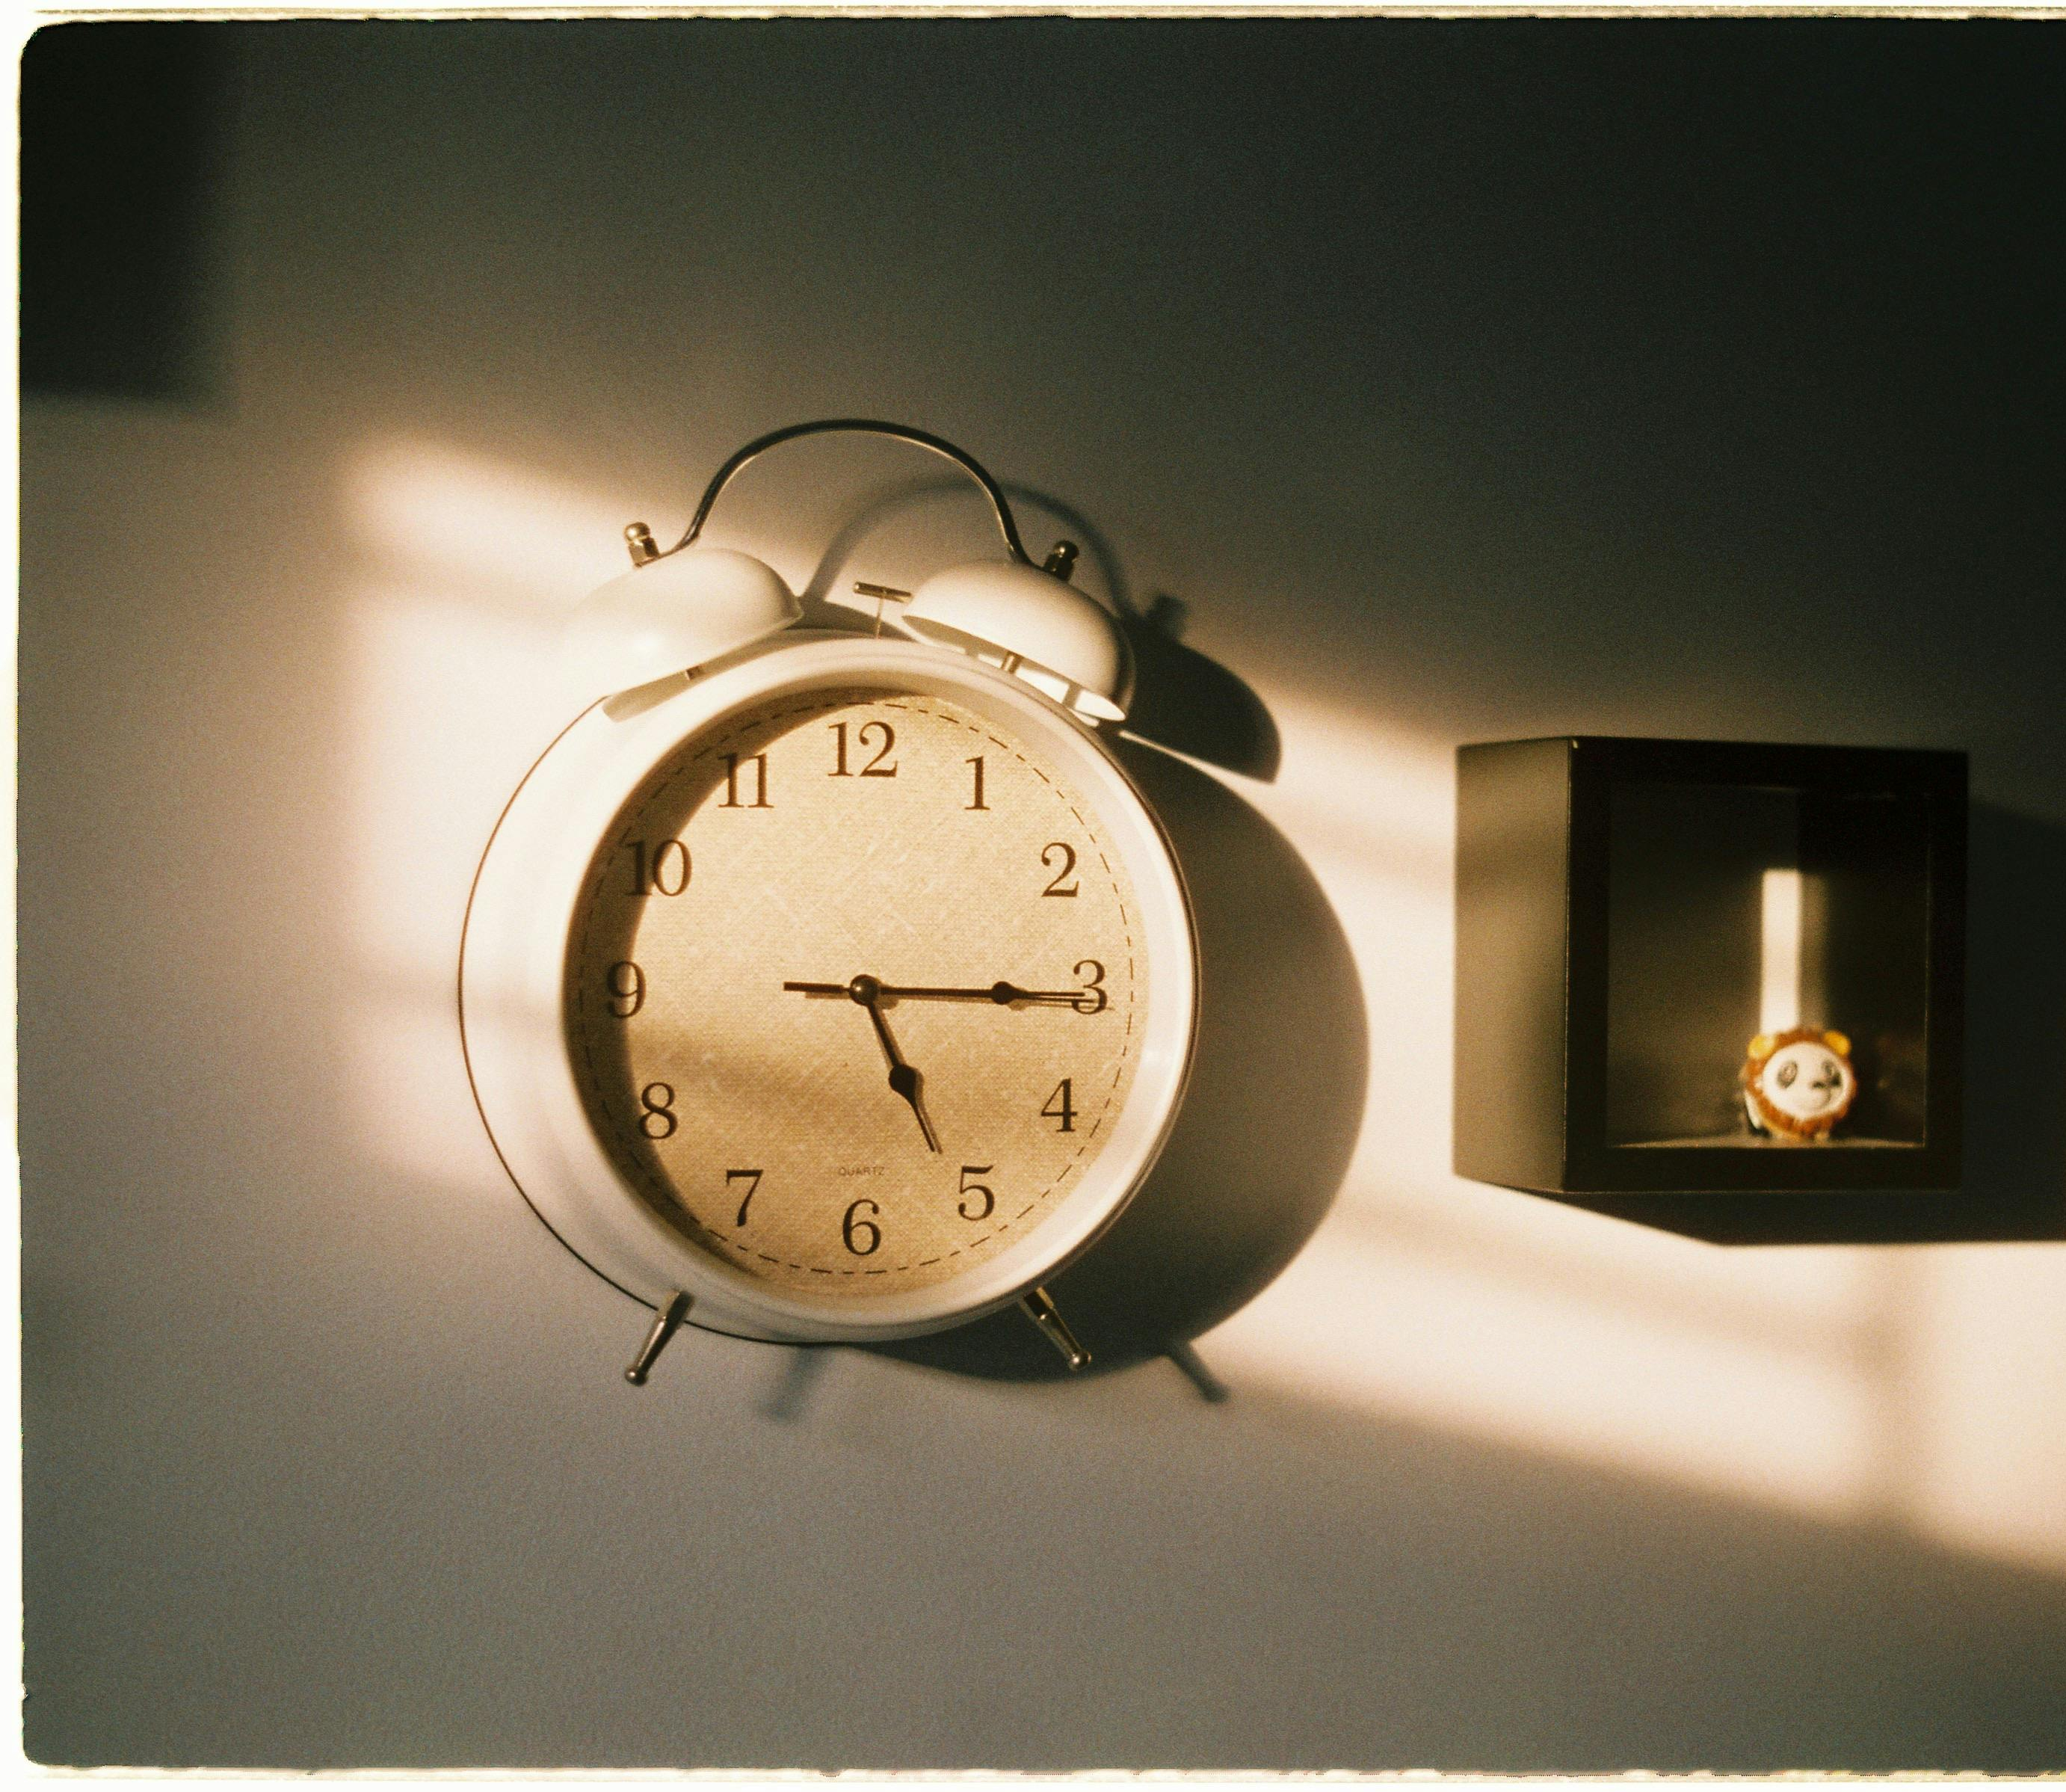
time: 5:15
